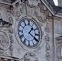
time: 1:20
